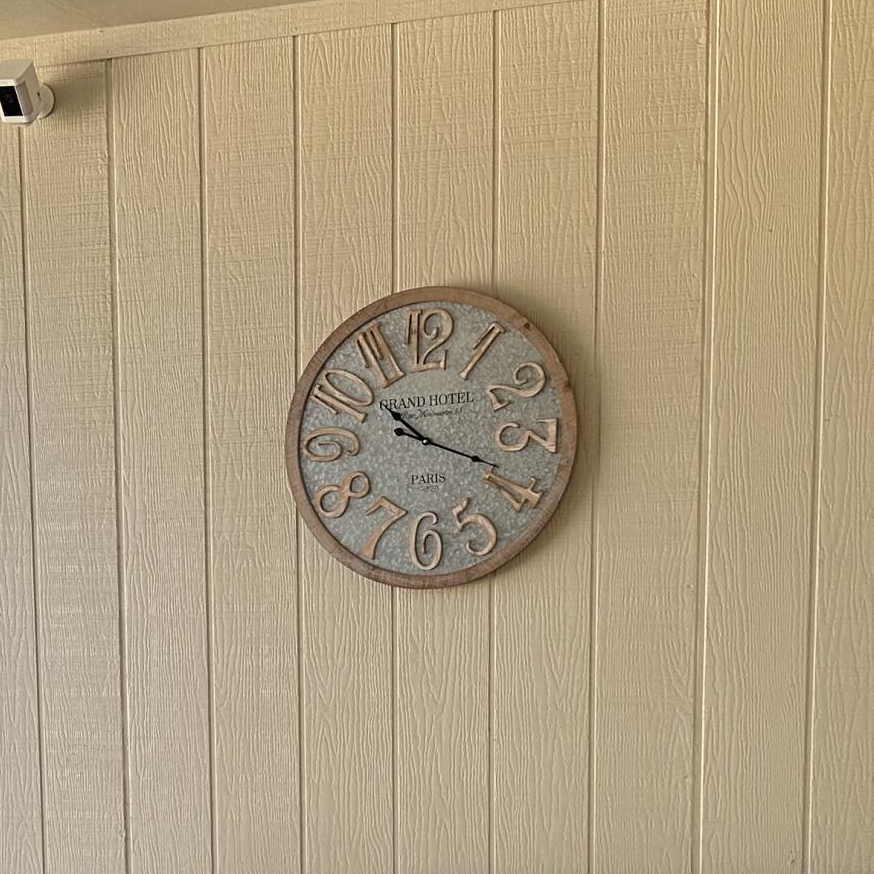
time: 10:18
